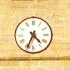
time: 4:33
